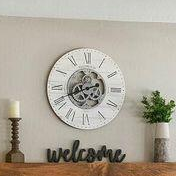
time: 4:41
